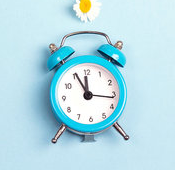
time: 11:55
